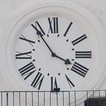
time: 3:54
